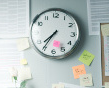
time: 7:35
